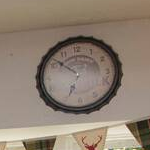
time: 6:51
